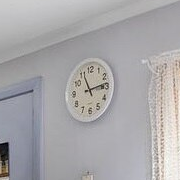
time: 11:13
